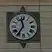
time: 11:35
